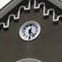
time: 12:23
